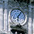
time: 6:06
